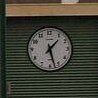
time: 1:27
